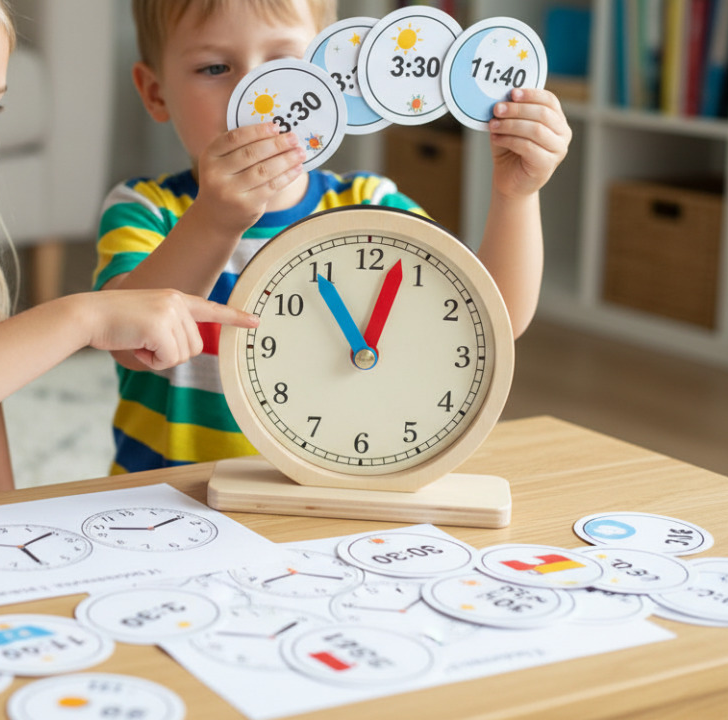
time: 11:03
